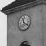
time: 11:20
